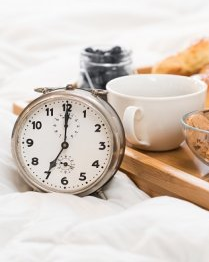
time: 7:00
